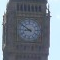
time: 8:50
